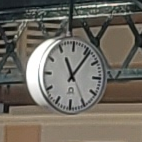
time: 11:06
